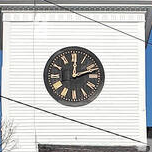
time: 12:11
